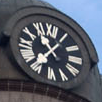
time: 10:36
